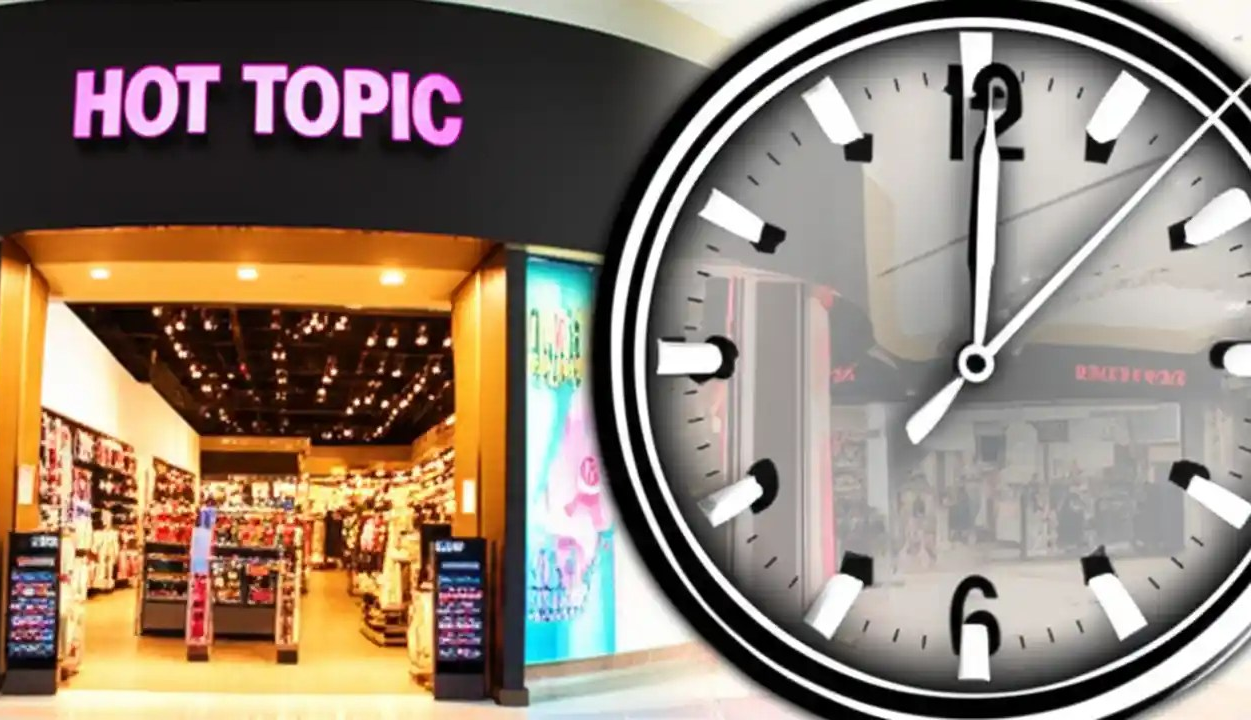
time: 12:07
